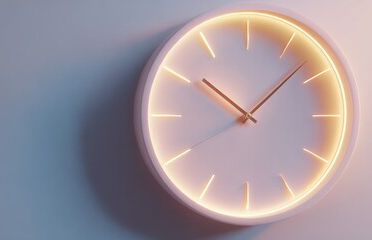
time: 10:07
